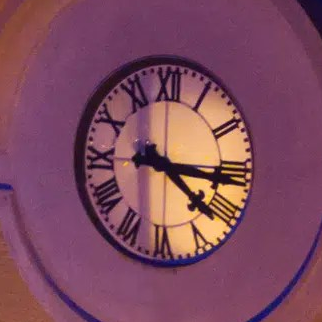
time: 4:16
